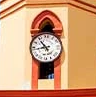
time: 10:43
